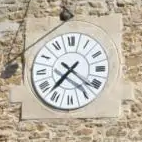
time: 7:21
